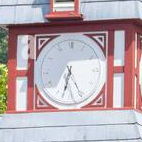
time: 6:25
